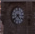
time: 4:38
